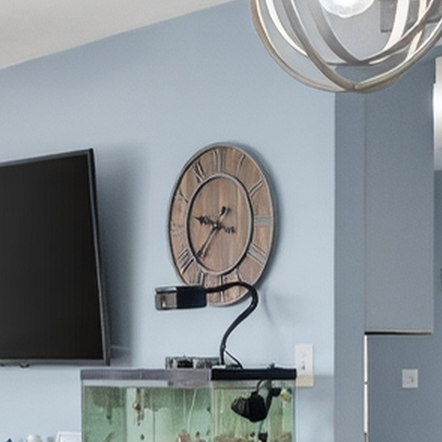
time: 9:38
